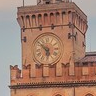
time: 5:51
